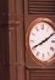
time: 8:10
